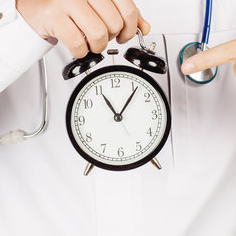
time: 11:06
